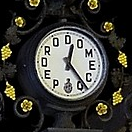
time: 12:23
